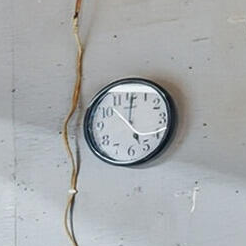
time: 5:00
